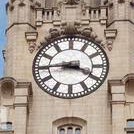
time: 3:44
